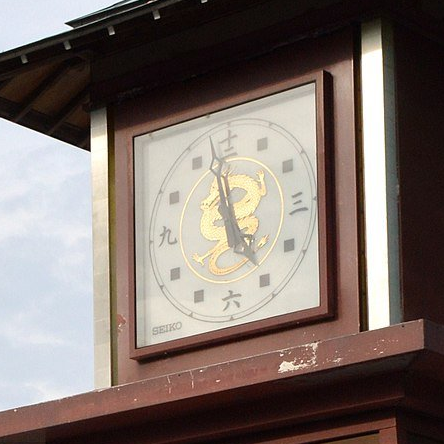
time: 4:57
